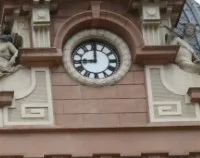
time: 9:00
